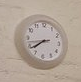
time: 7:42
